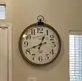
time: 12:41
